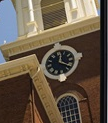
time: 12:19
